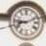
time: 9:11
